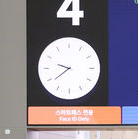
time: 9:39
